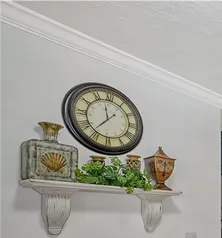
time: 11:36
